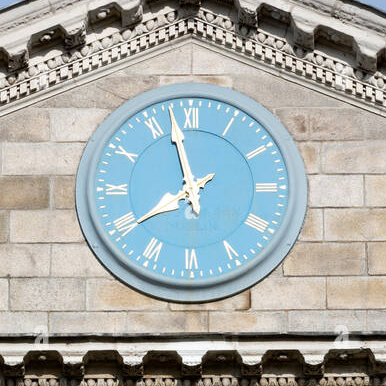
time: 7:57
